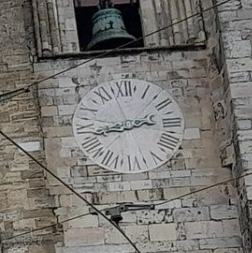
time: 2:42
